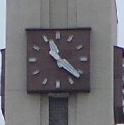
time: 11:21
